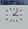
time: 3:07
